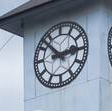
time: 2:52
